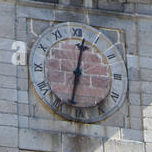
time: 12:32
